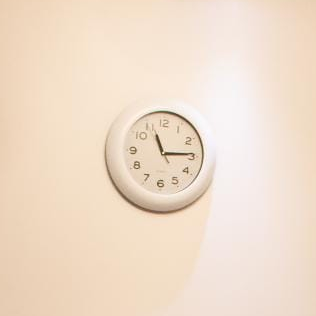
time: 11:14
